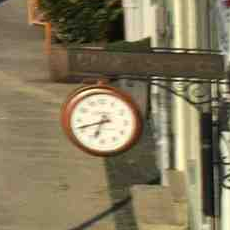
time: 6:41
